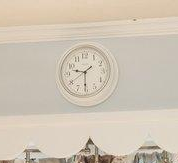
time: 9:30
